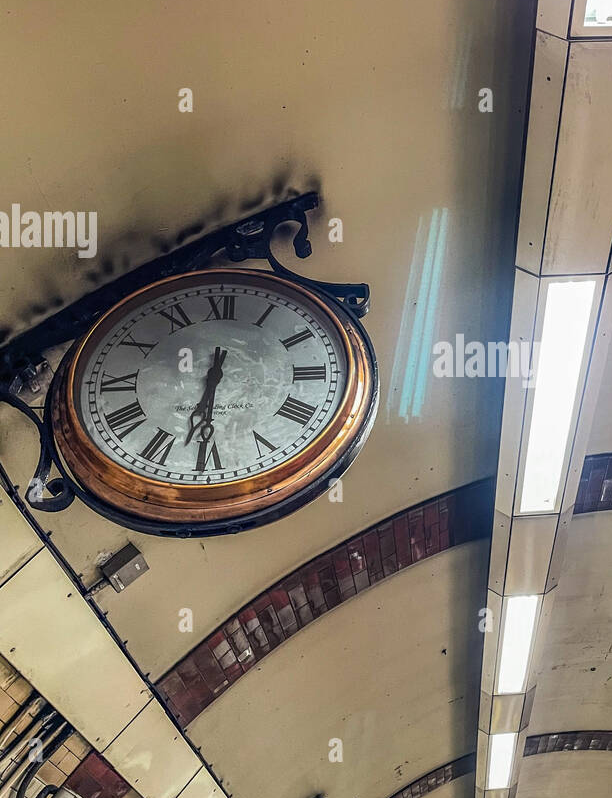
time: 6:30
